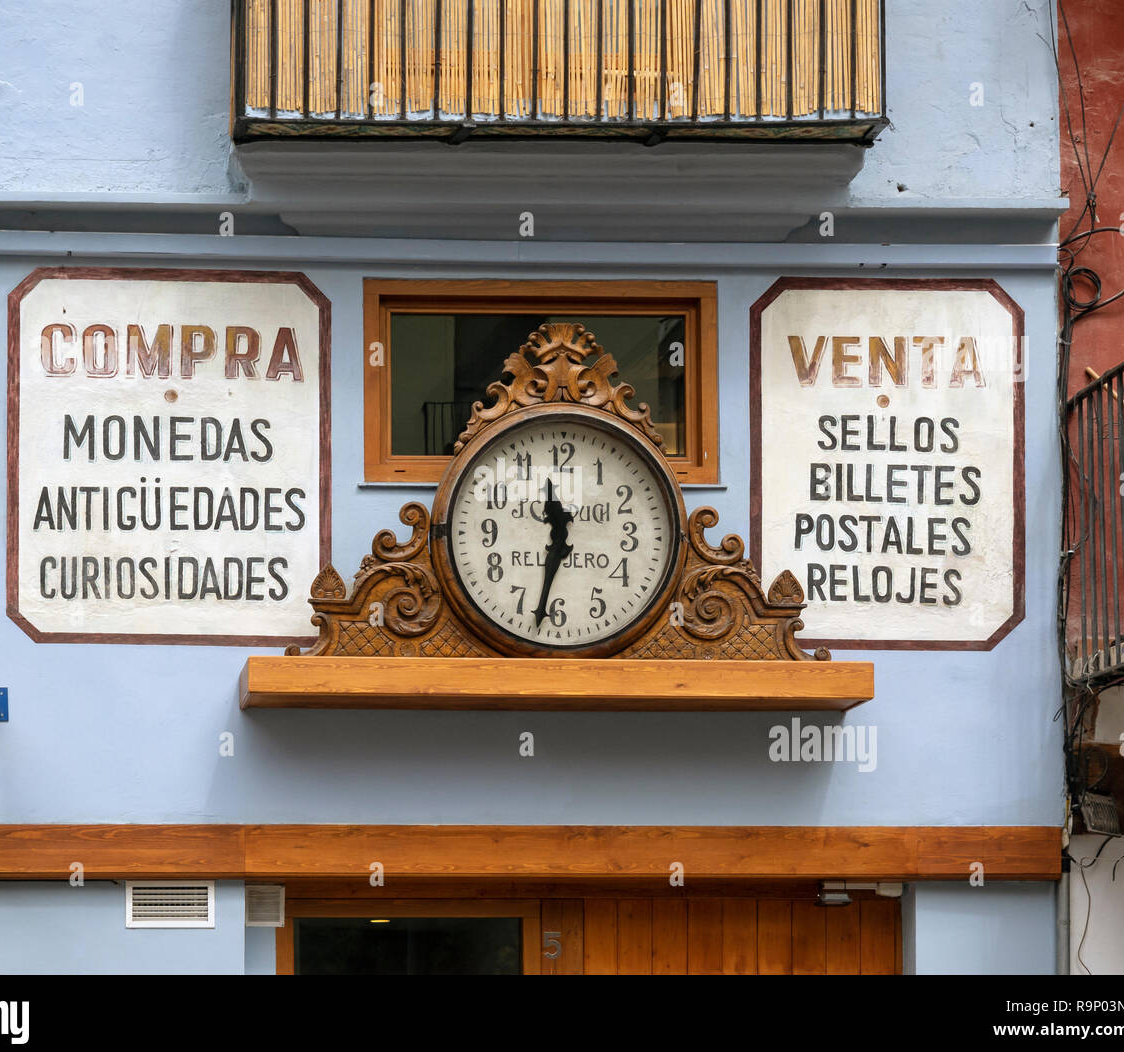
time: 11:32
